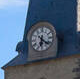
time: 6:21
